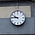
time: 9:45
